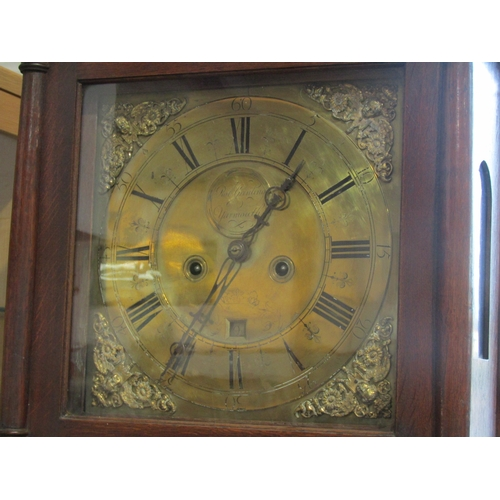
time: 7:06
